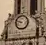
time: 8:47
